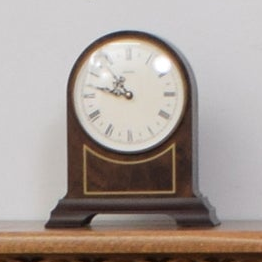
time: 10:47
